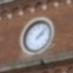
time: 2:07
